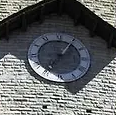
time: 7:06
